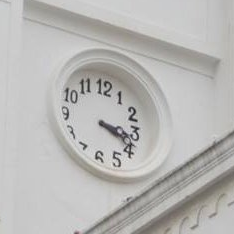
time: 3:18
